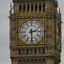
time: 2:29
